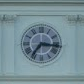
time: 7:16
